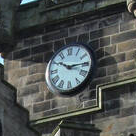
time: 10:14
